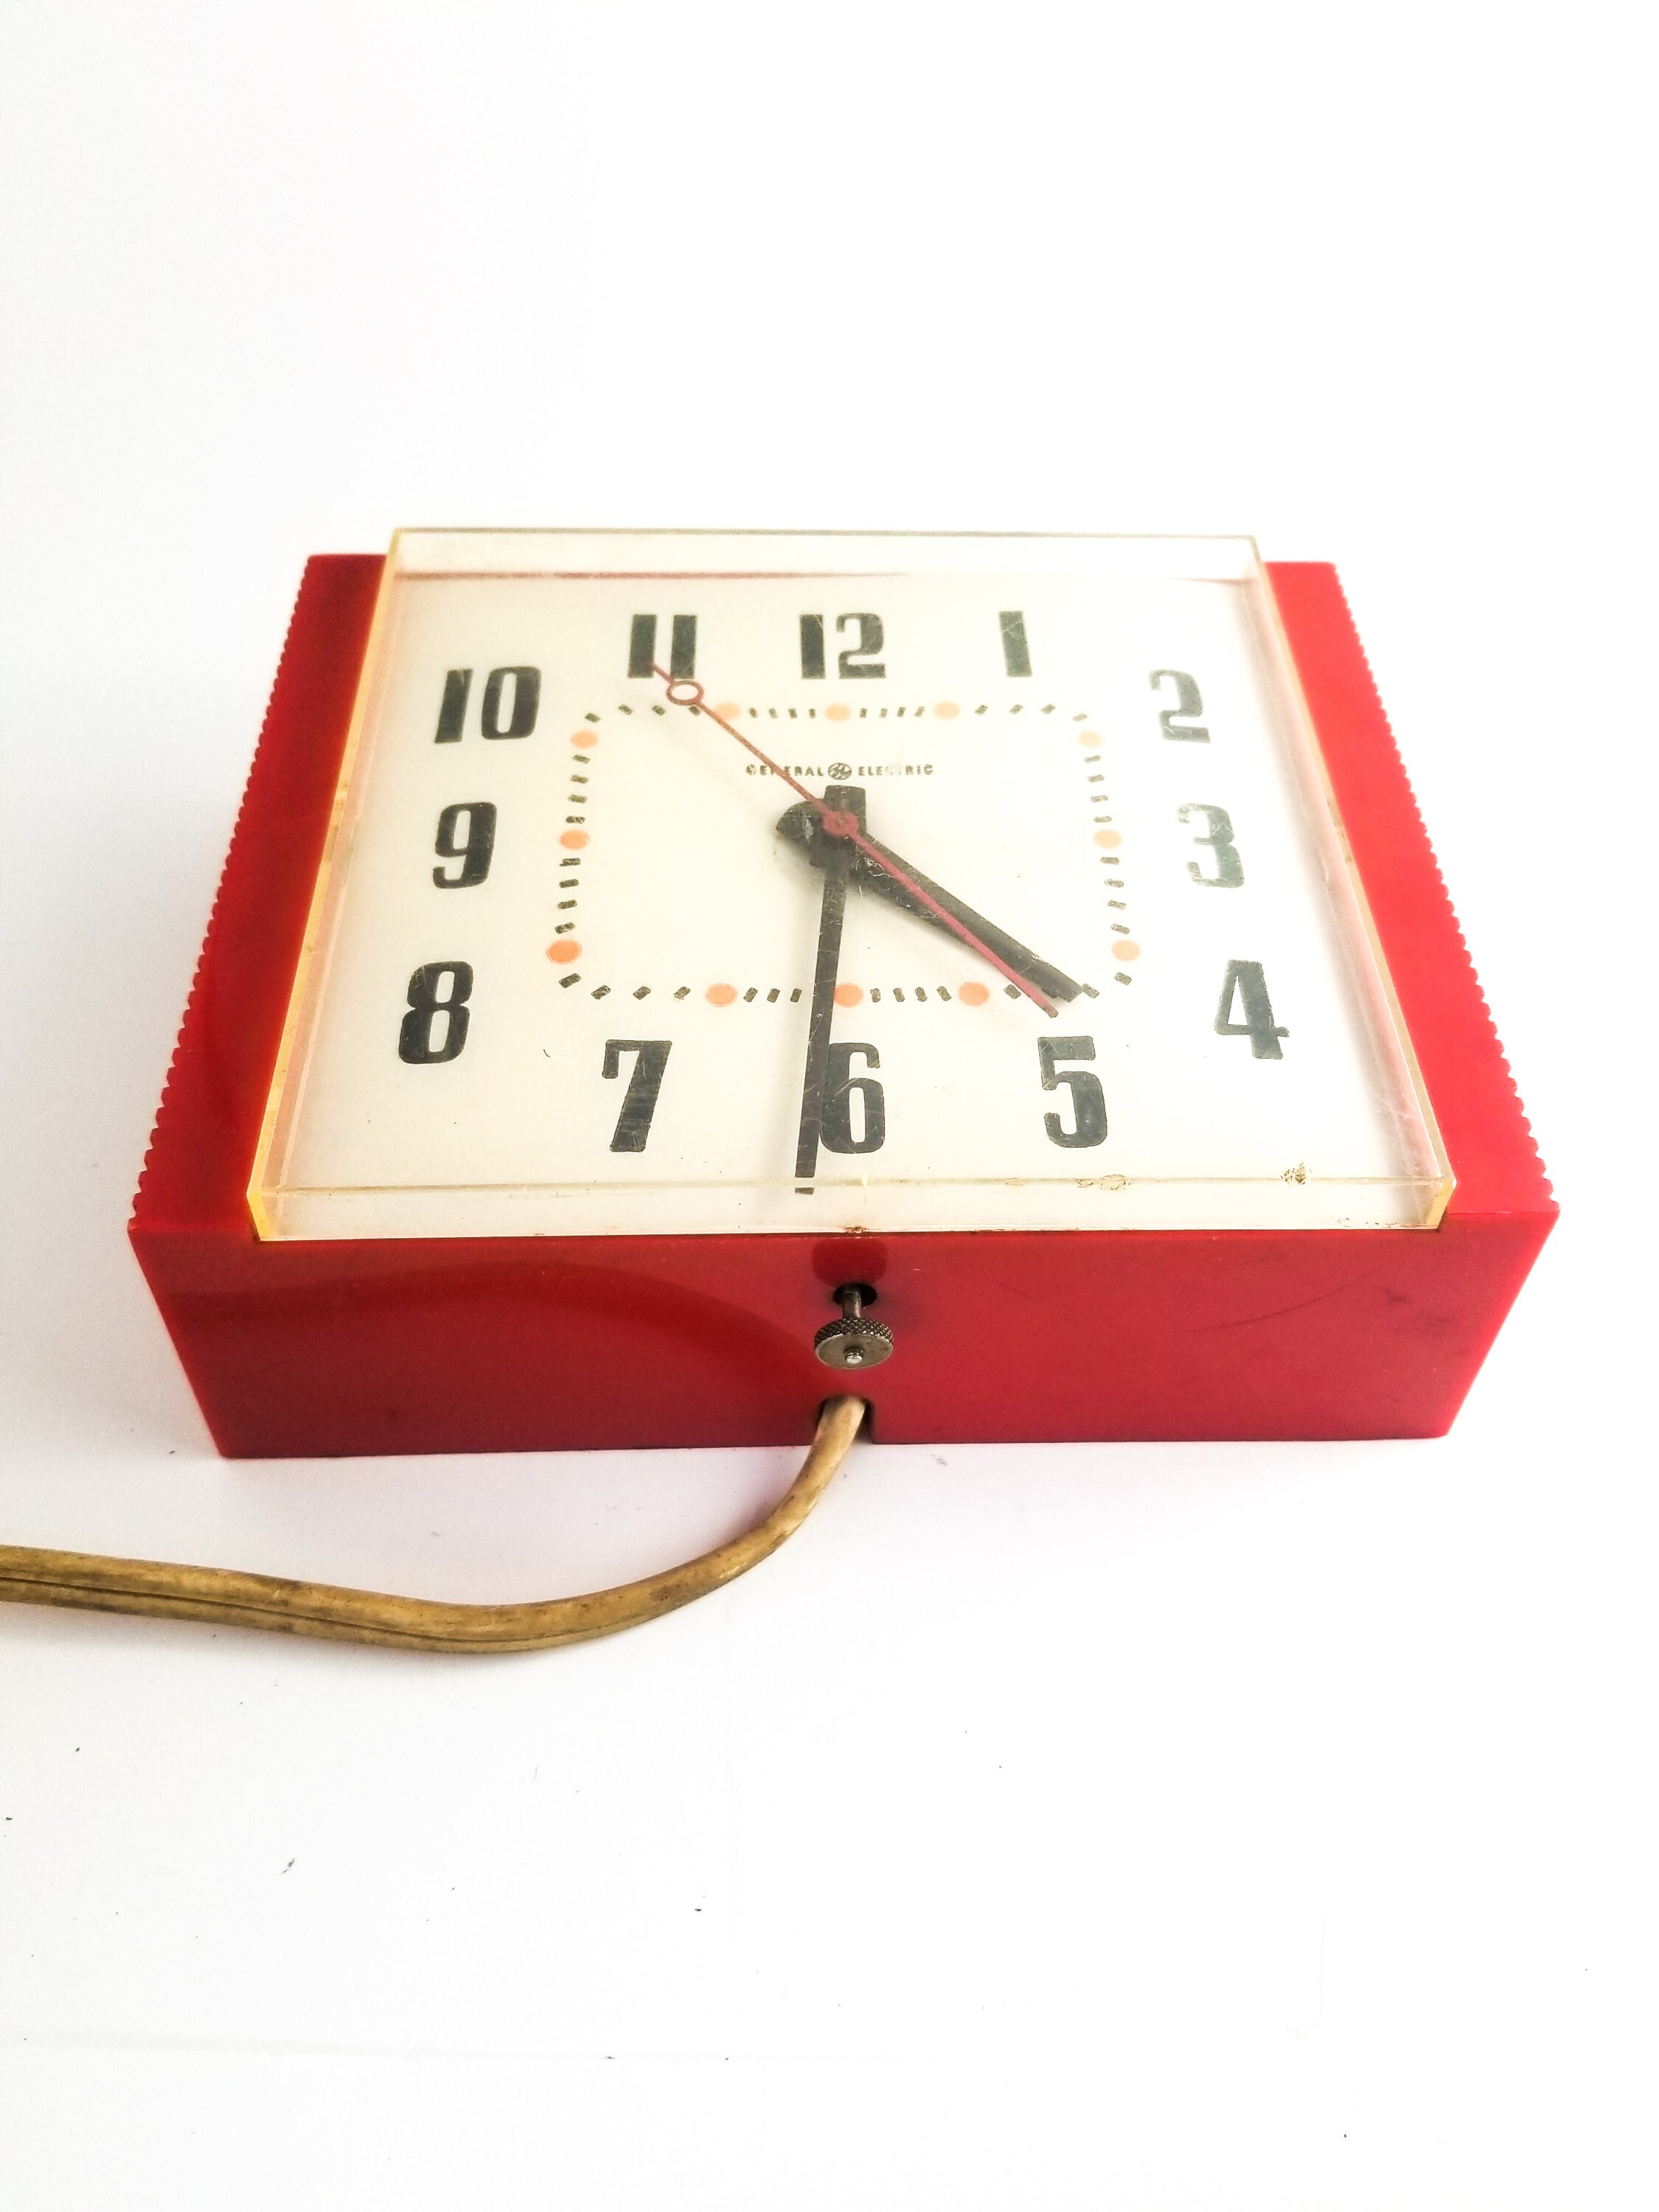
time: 4:30
